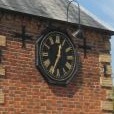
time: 12:34
